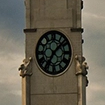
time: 7:07
